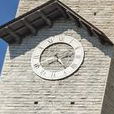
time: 7:24
